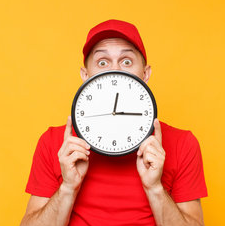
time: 12:15
